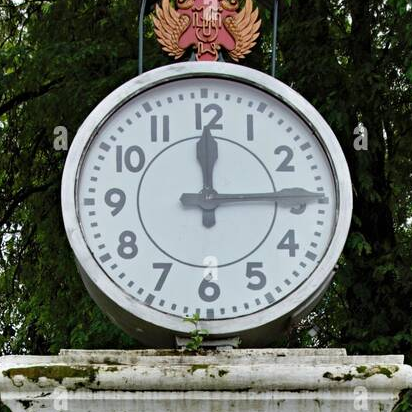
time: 12:14
